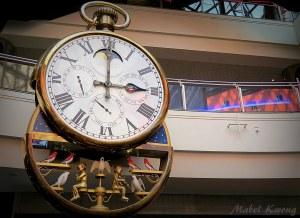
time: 3:00
